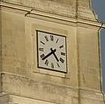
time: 4:38
